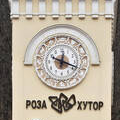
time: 12:18
